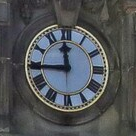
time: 11:44
